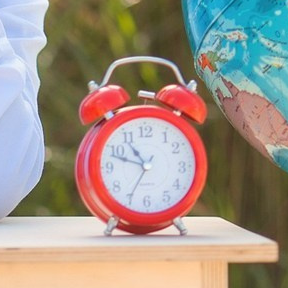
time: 10:48
